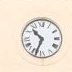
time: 10:34
